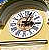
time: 3:03
